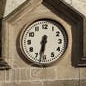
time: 6:31
